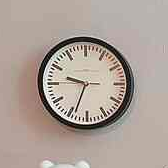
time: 9:33
